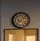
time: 7:07
